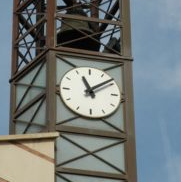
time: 11:08
